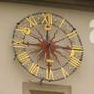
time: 12:16
